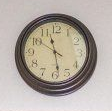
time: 11:28
